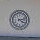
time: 4:12
